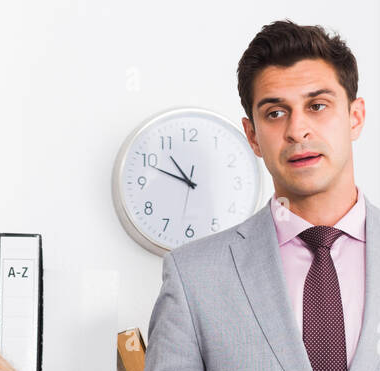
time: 10:48
